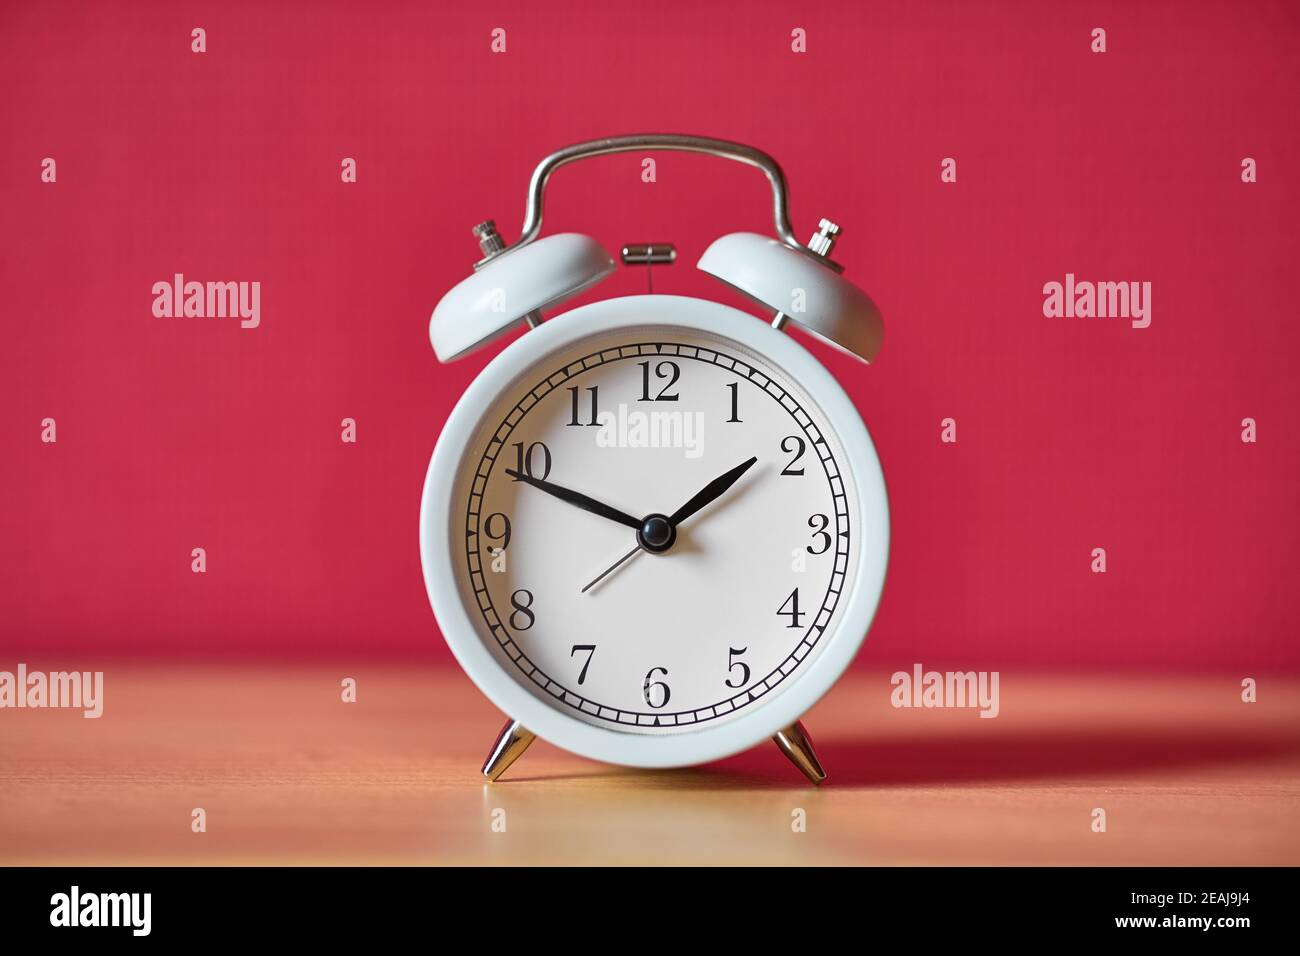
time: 1:49
